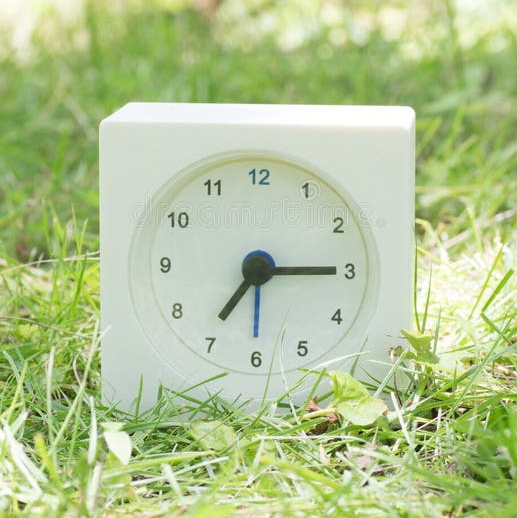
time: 7:15
